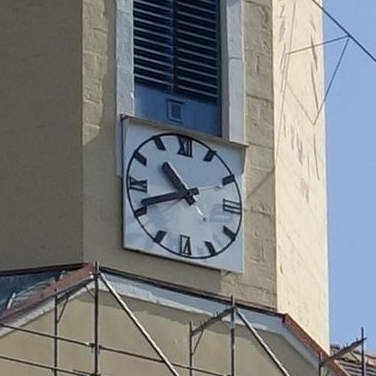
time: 10:41
